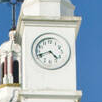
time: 4:41
